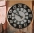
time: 10:48
